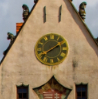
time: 1:39
